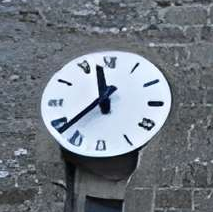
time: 11:37
